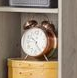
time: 10:24
